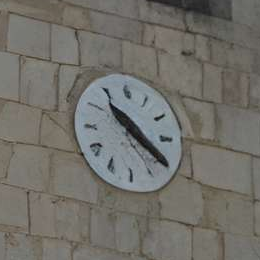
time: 10:20
